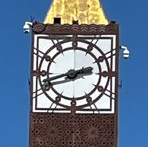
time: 2:42
